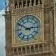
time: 2:50
